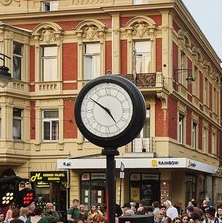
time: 4:50
